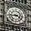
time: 3:43
